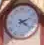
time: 2:21
